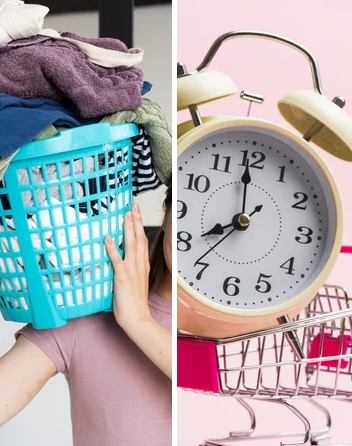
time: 7:59
